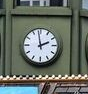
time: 1:58
